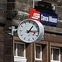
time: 1:16
